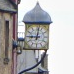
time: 9:01
